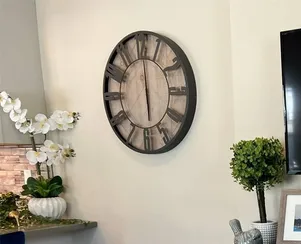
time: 6:00
